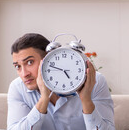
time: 4:48
